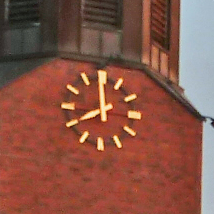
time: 7:59
